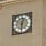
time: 12:30
